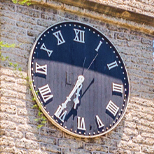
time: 6:35
